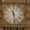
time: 11:28
